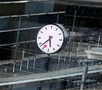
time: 5:38
